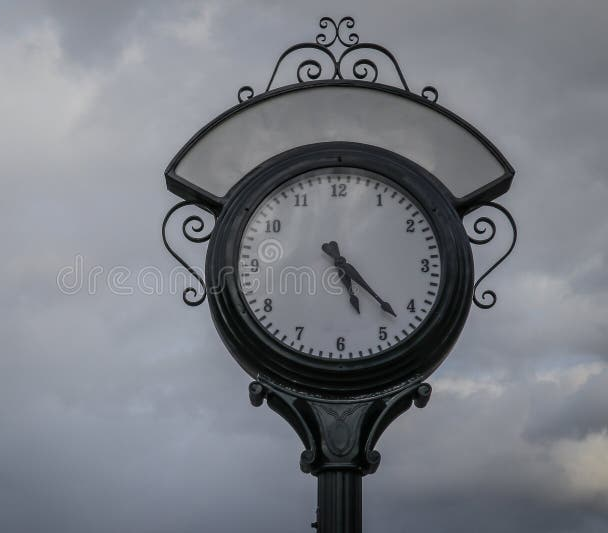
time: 5:22
